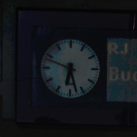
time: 6:27
